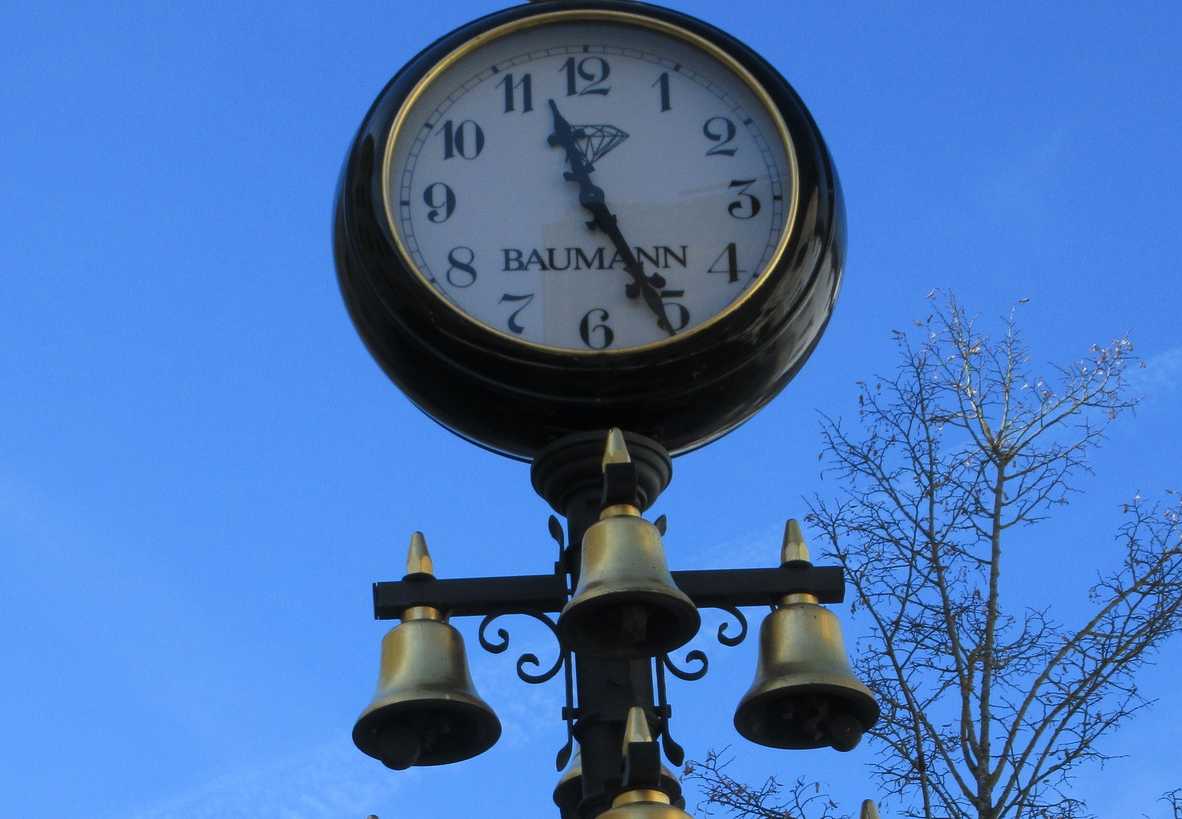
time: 11:25
